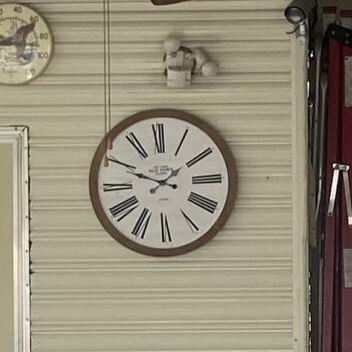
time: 1:48
